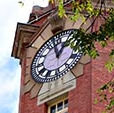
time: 12:57
